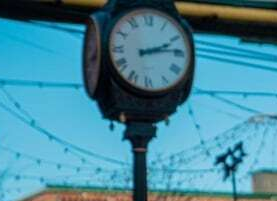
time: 2:13
